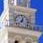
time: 12:37
